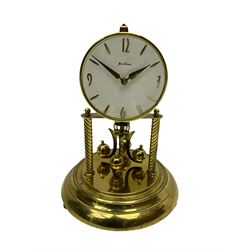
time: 1:50
